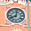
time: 8:01
